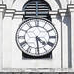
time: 4:29
